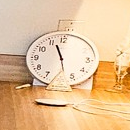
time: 11:27
